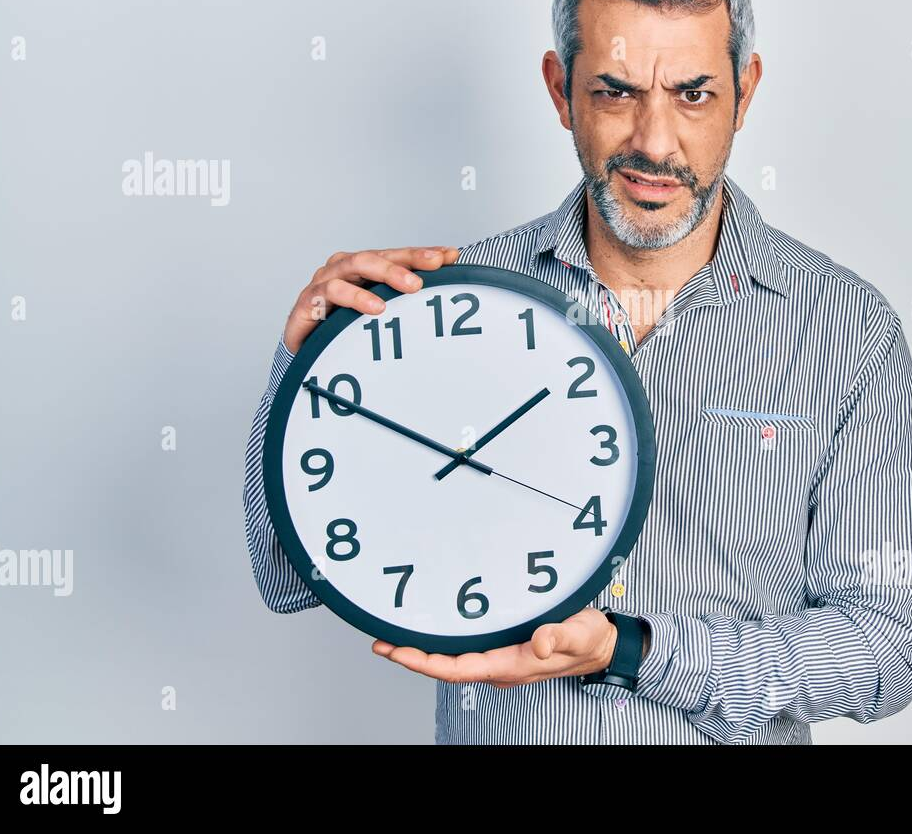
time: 1:50
